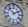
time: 1:52
